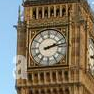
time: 2:12
